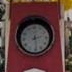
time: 2:29
